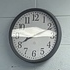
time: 8:11
